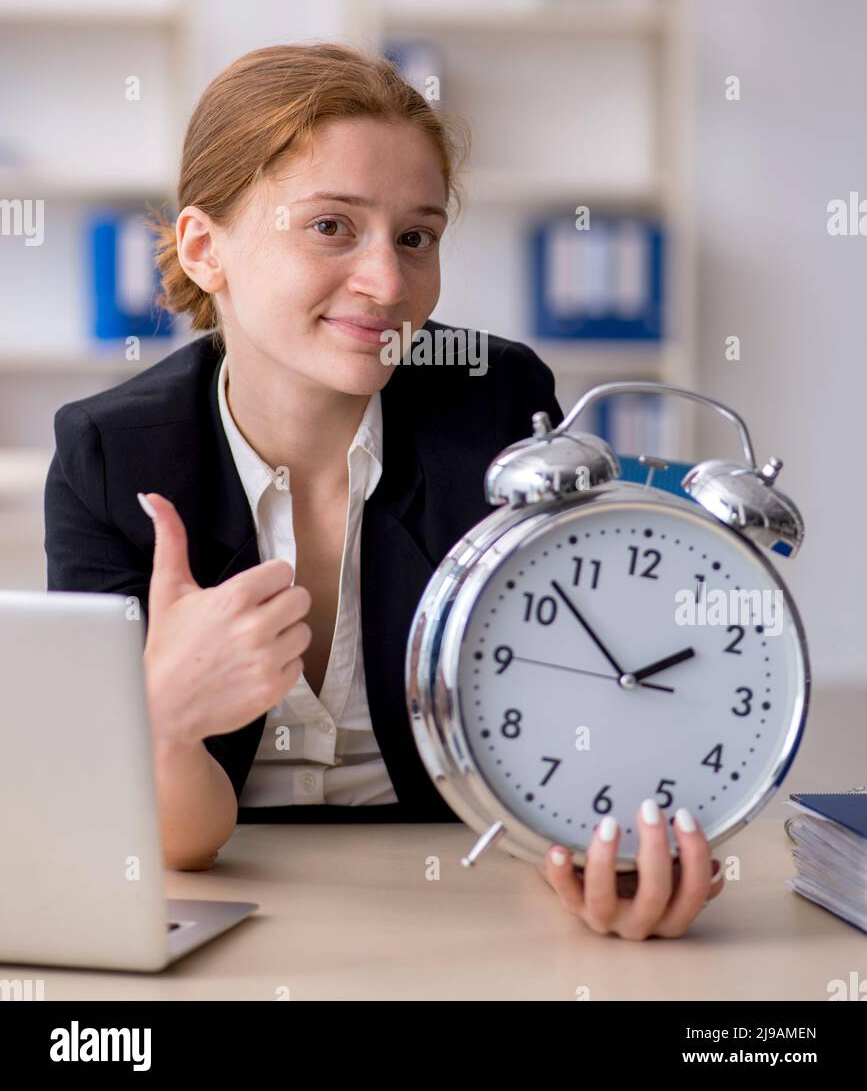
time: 1:52
